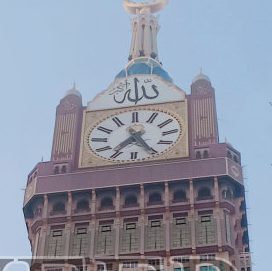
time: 7:25
